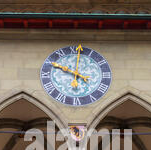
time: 10:00
